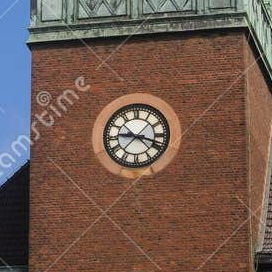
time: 9:18
